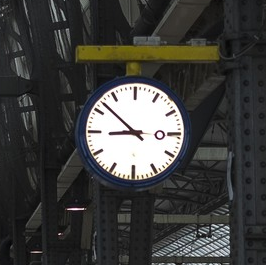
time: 8:52
